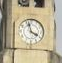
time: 3:57
